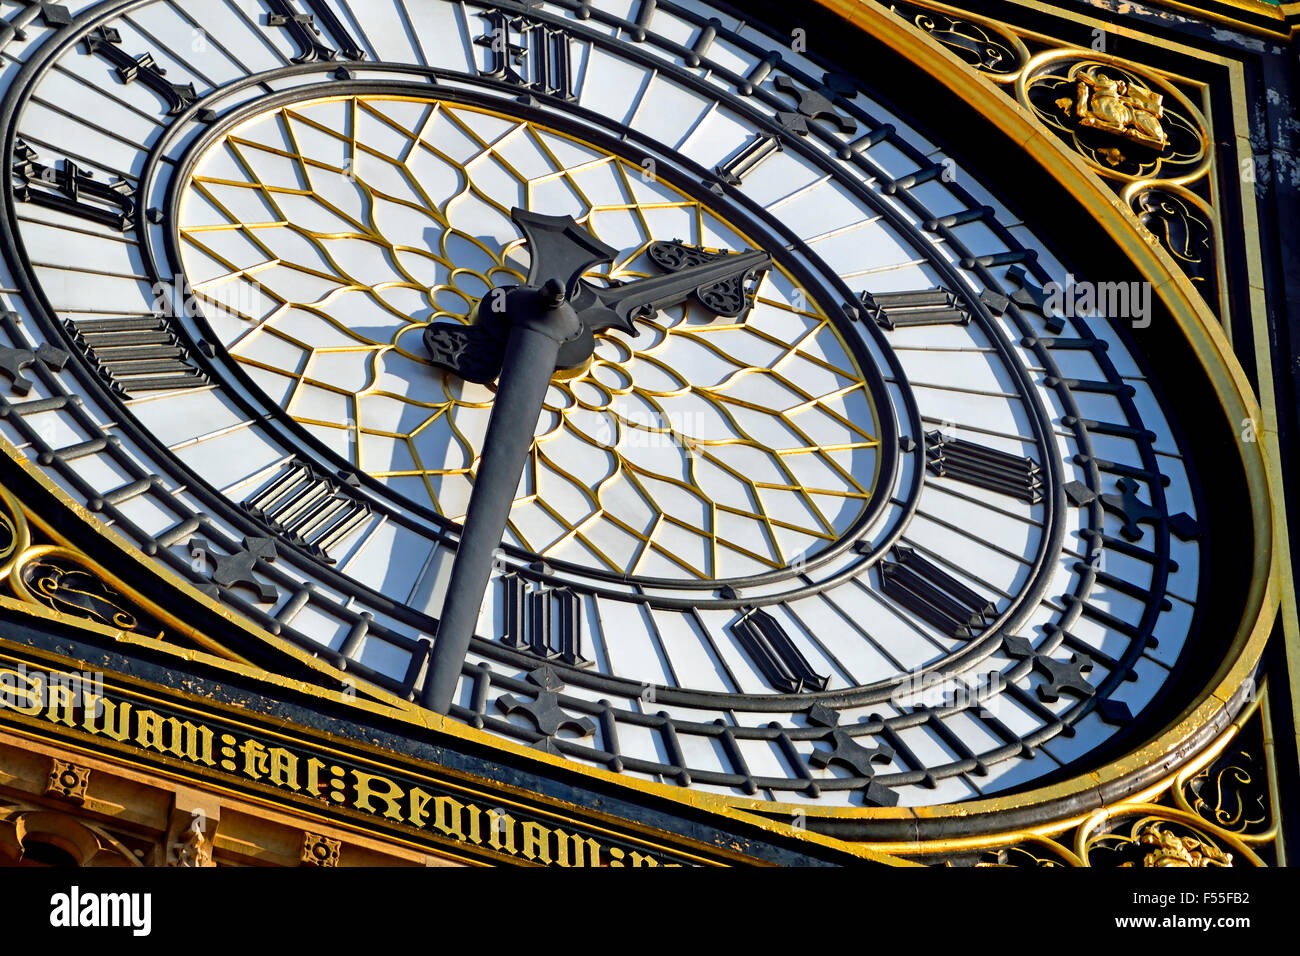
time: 1:32
